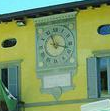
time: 11:17
